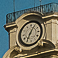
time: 7:05
